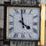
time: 3:58
